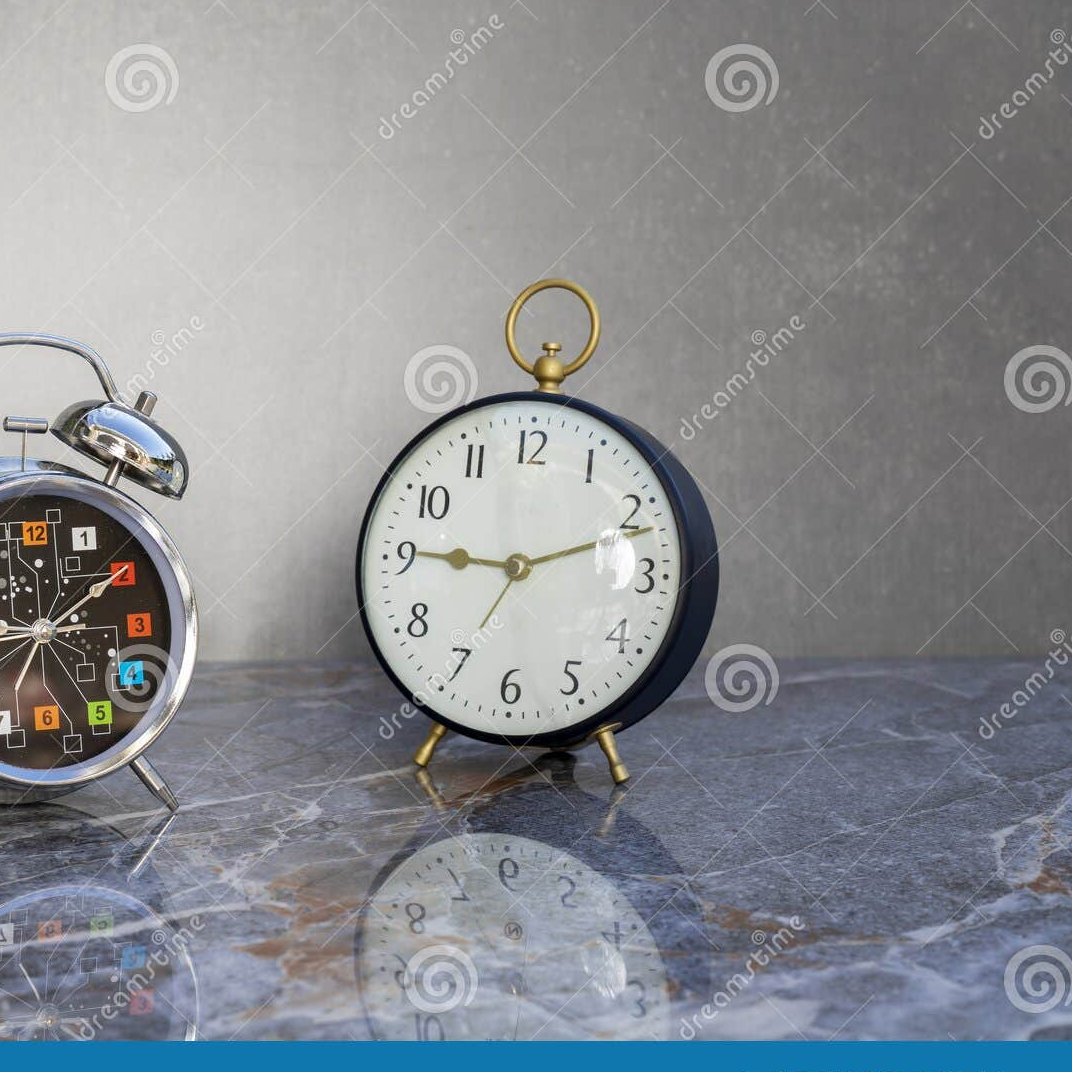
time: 9:11
